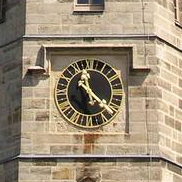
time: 11:21
